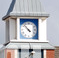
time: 4:52
